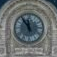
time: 11:54
